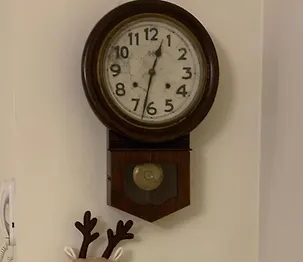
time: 12:32
